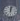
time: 12:02
